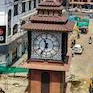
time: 11:35
